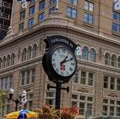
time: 1:11
